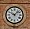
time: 10:07
